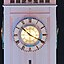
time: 10:19
